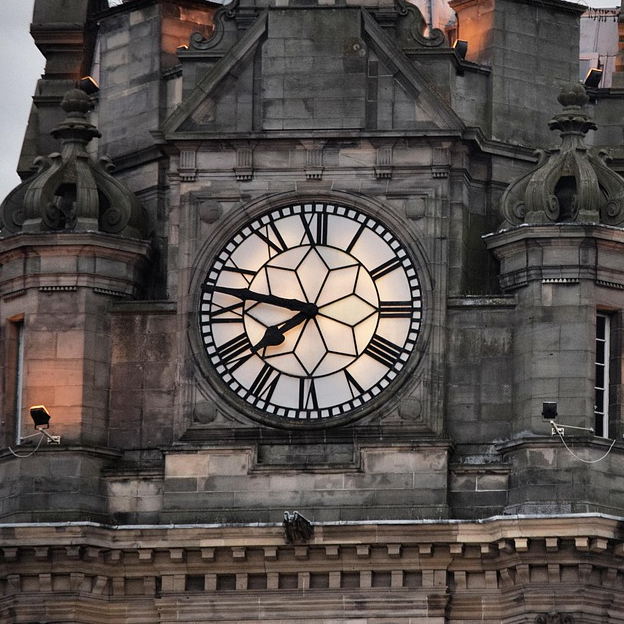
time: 7:47
